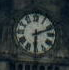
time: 6:11
